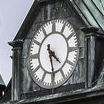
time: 4:28
